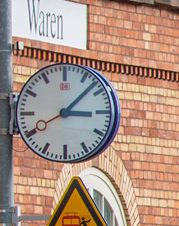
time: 3:07
